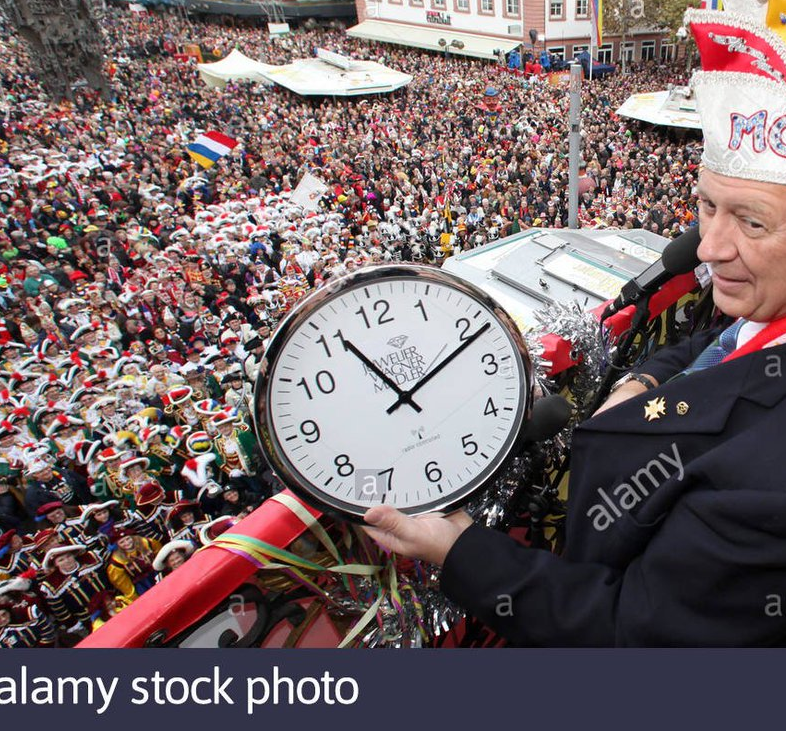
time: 11:11
